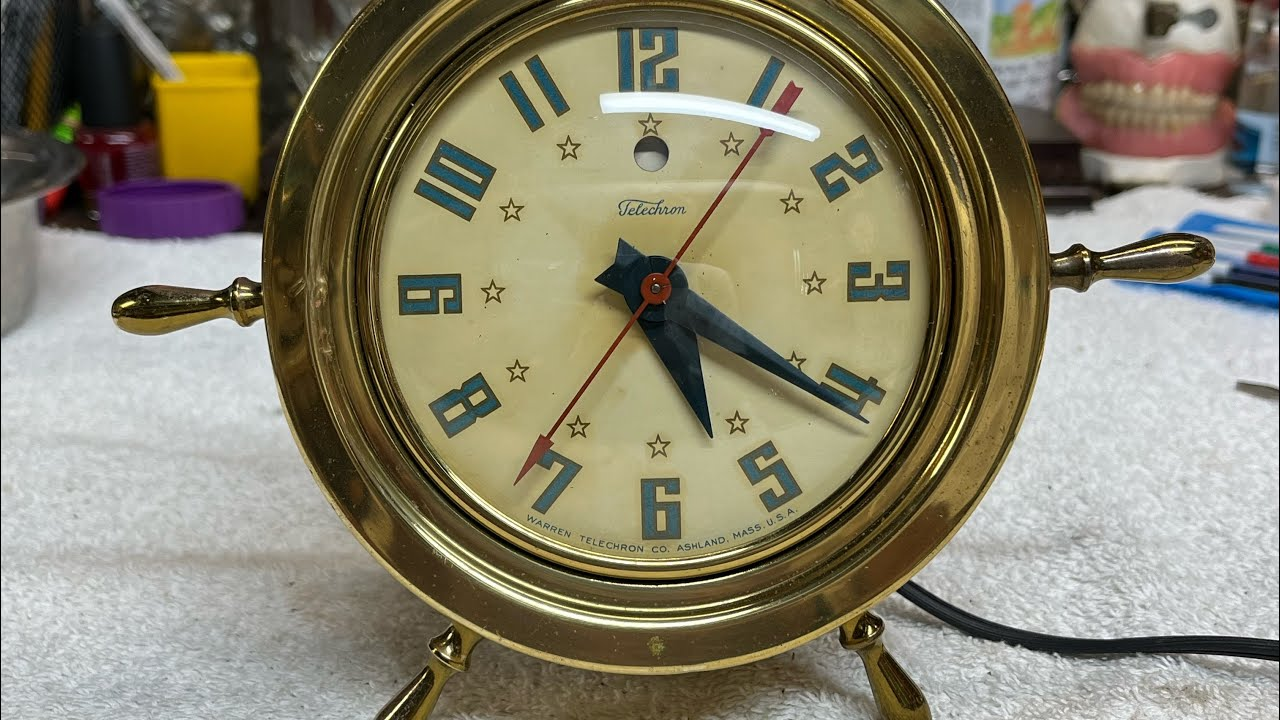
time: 5:20
